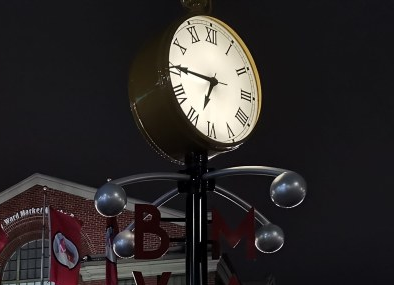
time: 6:45
